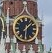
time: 1:30
